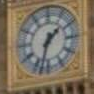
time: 1:32
